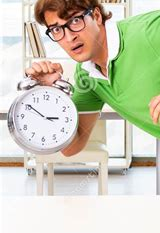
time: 2:50
